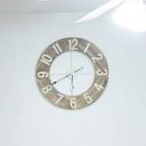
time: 5:40
